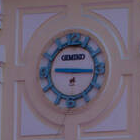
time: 9:15
